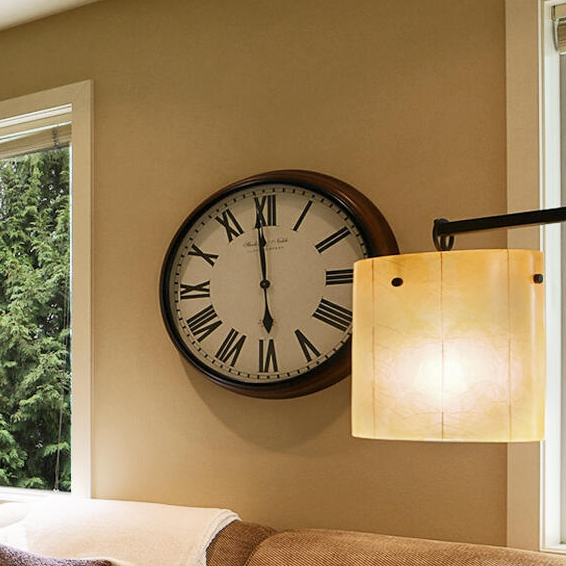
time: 5:59
